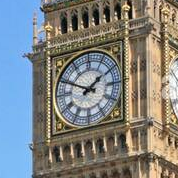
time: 1:49
